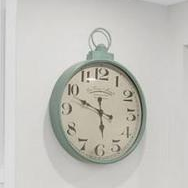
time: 5:48
